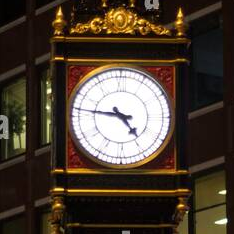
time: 4:46
